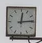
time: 12:14
